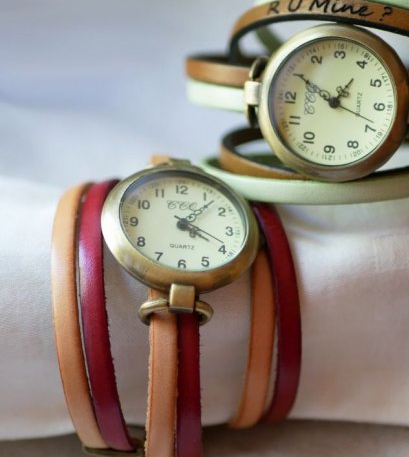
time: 4:07
